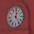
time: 12:24
